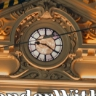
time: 9:20
